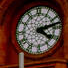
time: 4:12
